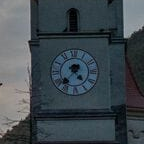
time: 4:37
